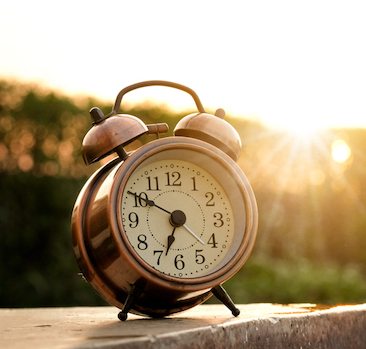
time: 6:50
